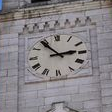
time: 2:53
